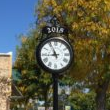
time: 8:56
